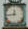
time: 11:44
